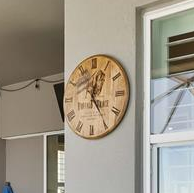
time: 12:24
